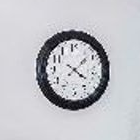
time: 4:07
